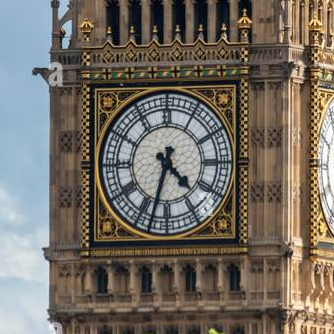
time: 4:32
